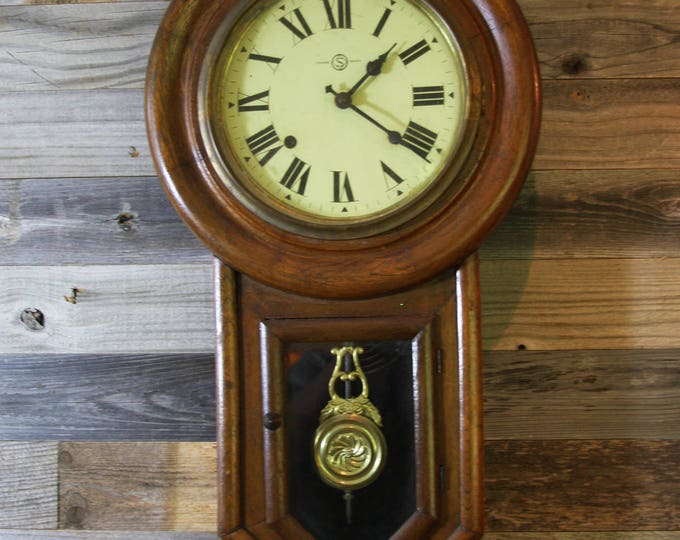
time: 1:21
